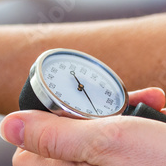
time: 11:26
